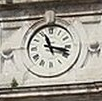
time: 11:17
